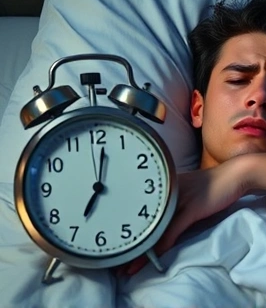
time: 7:01
